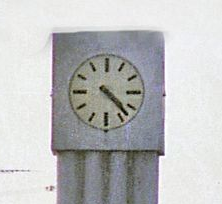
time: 4:22
